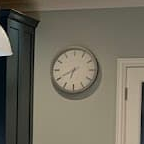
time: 6:40
